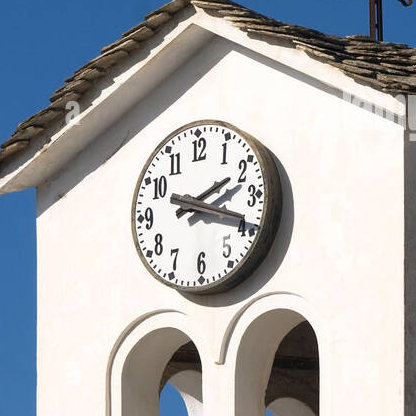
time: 2:18
